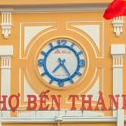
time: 7:24
